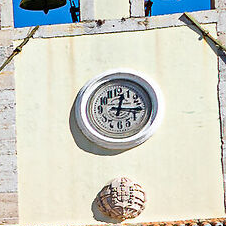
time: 12:15
